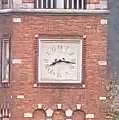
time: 8:16
